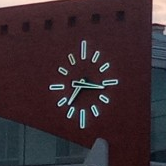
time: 7:16
